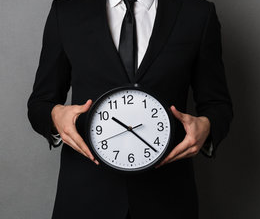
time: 10:22
